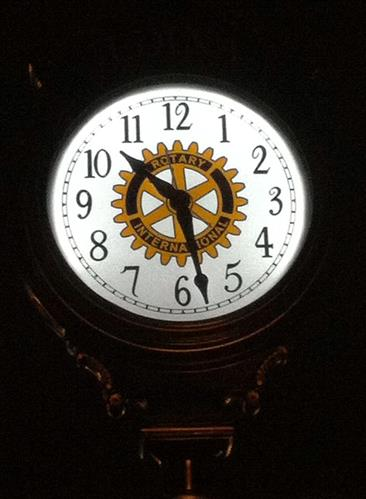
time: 10:28
